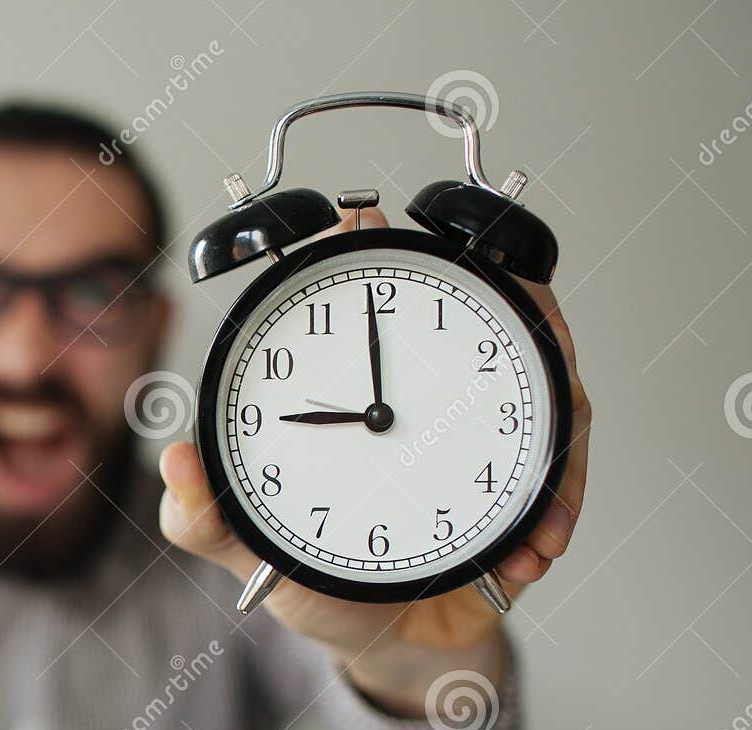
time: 8:59
